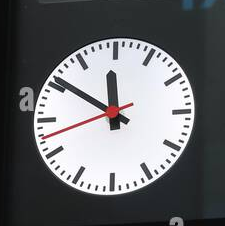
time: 11:50
